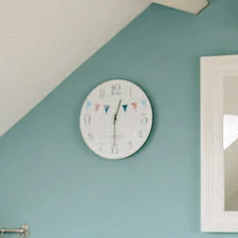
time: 12:30
